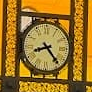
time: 8:23
